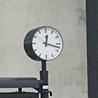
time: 12:17
